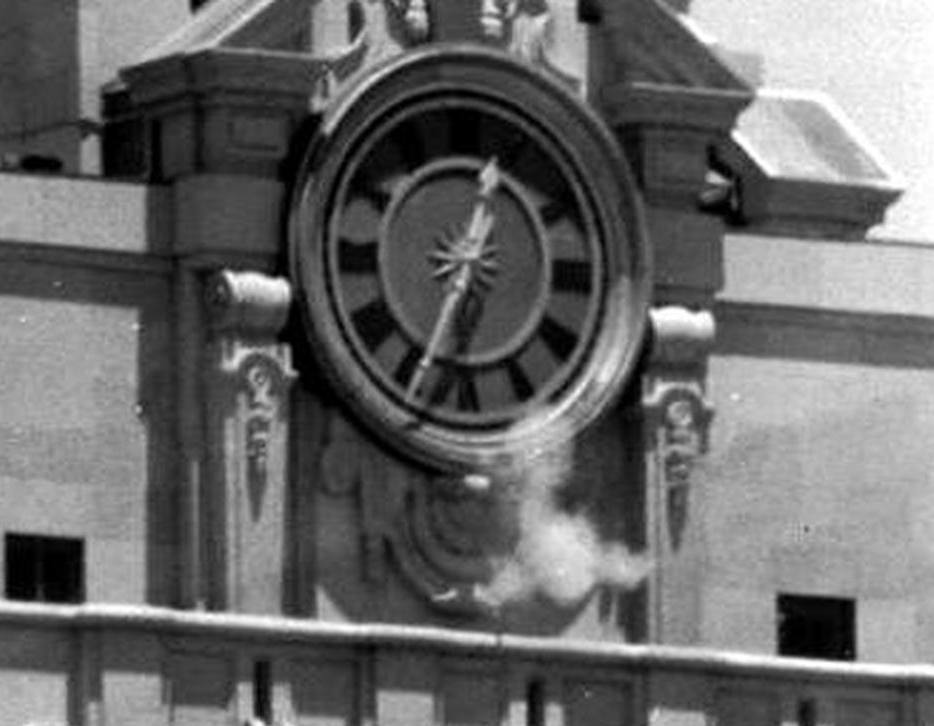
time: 12:34
